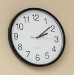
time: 2:08
